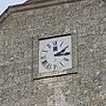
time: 2:15
